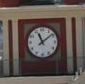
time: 11:08
